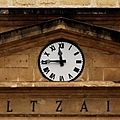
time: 11:44
